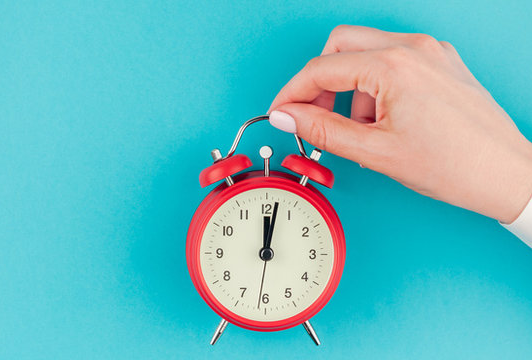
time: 12:01
